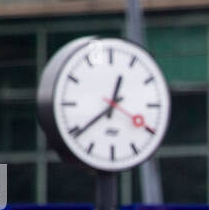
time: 12:39
